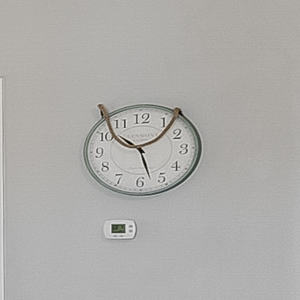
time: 10:27
